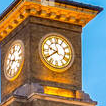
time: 9:39
